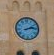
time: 2:13
